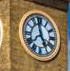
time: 4:58
